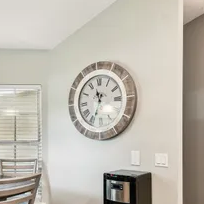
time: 11:33
